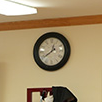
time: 12:39
